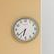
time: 6:38
